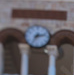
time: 2:35
